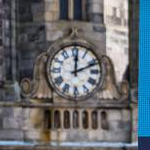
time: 12:11
